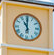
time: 11:00
